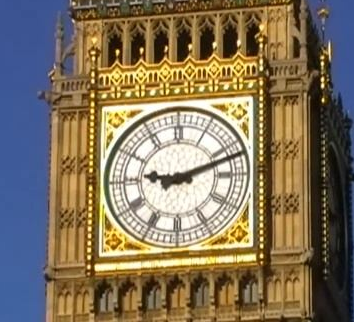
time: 9:11
